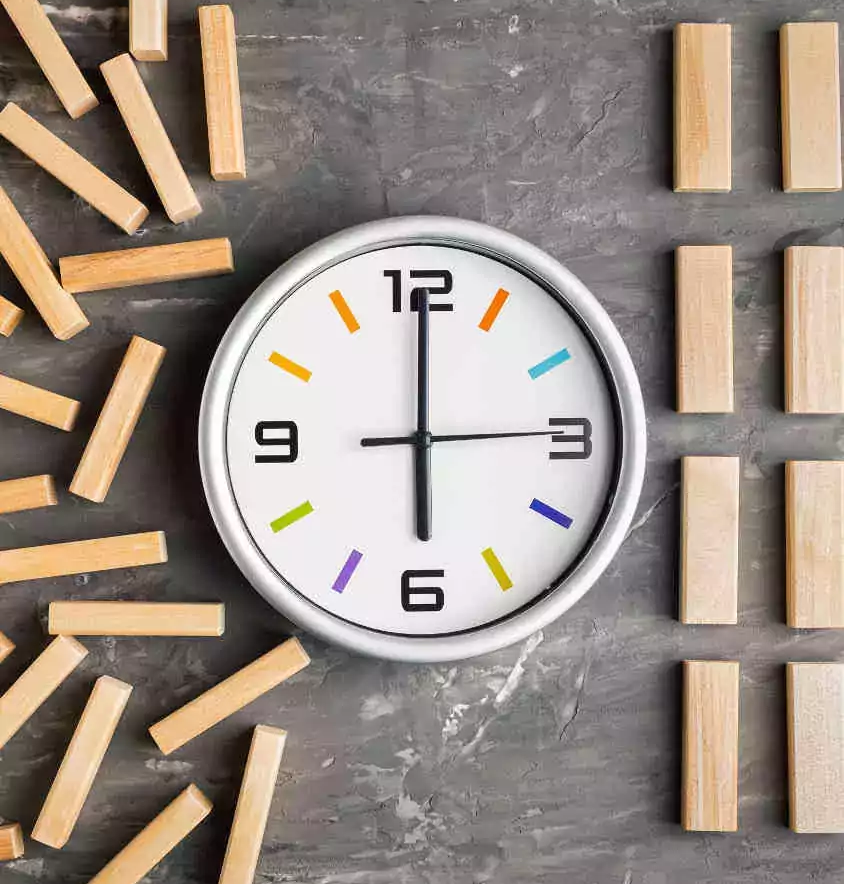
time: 6:00
